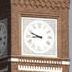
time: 8:48
